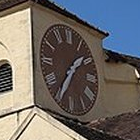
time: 1:35
